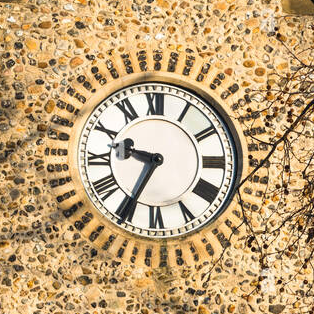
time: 9:34
